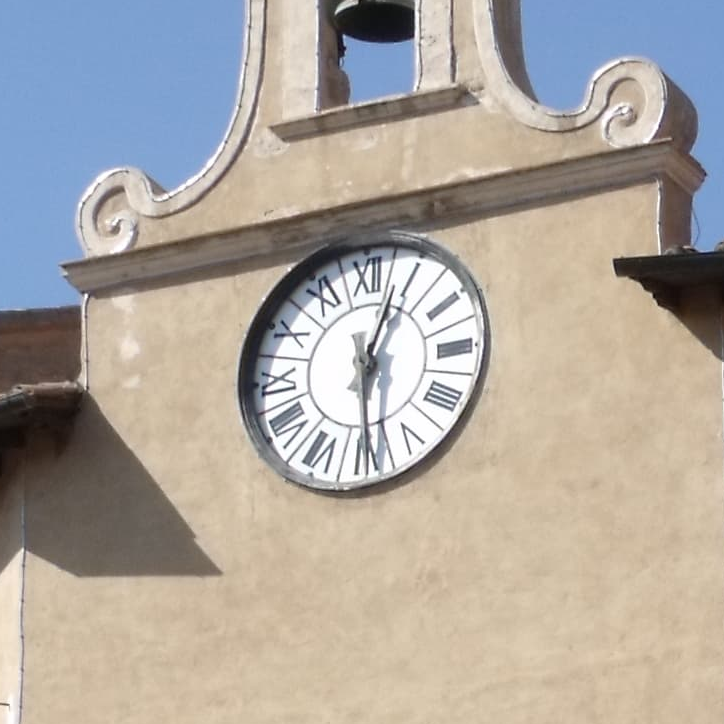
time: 6:03
